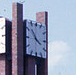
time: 3:52
